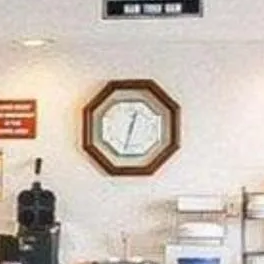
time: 12:32
